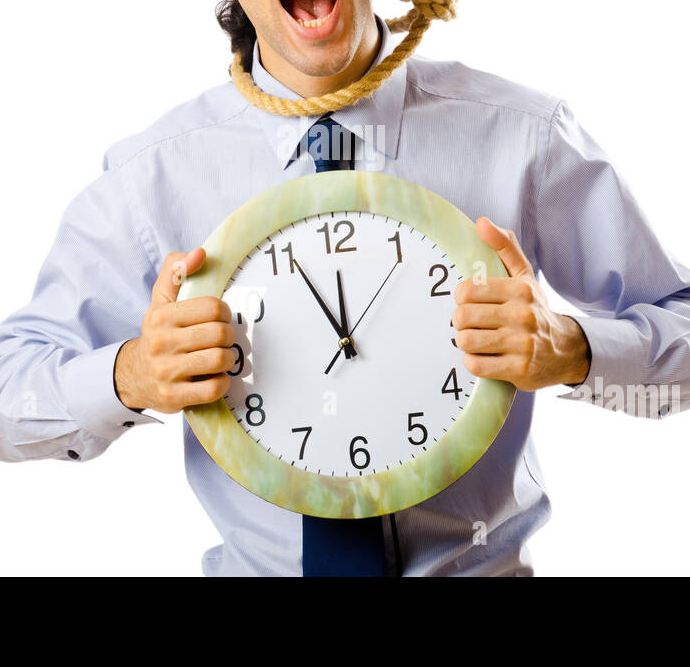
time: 11:55
